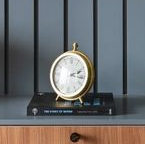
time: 2:16
